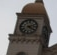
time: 4:12
